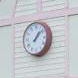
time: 1:07
